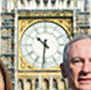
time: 10:31
